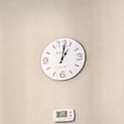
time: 1:01
